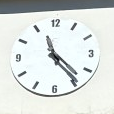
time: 11:23
